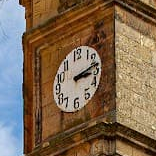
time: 3:13
